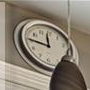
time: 11:45
